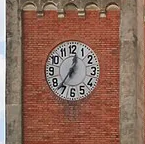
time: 12:36
